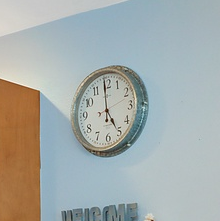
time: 4:59
